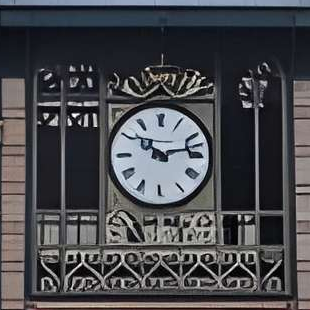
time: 10:13
